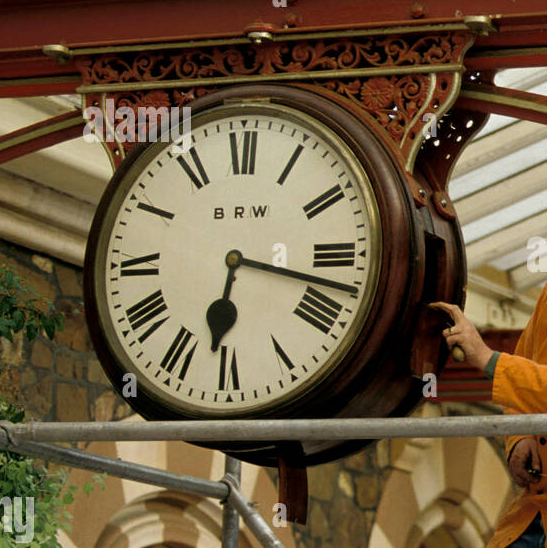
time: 6:17
